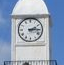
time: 2:14
